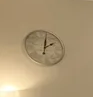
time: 2:01
